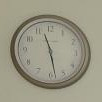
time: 11:28
